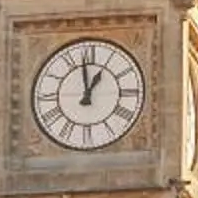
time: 12:58
